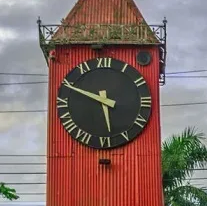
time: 5:49
